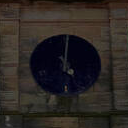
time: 5:01
